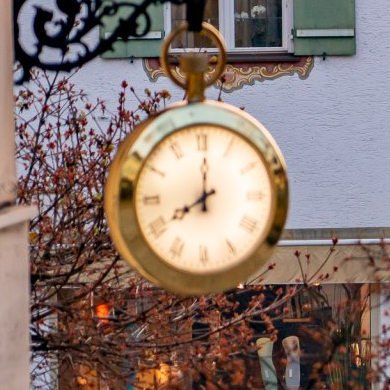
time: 8:00
